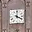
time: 4:01
